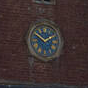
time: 1:50
